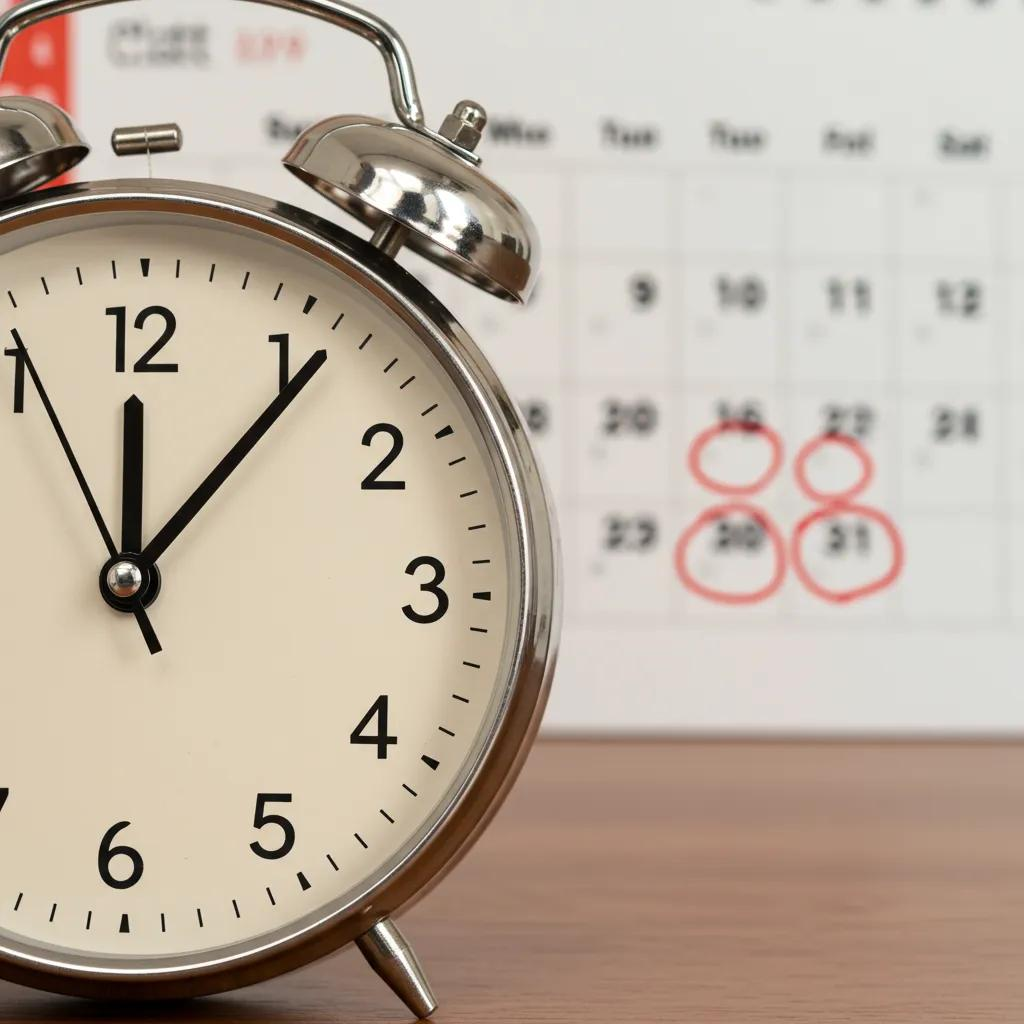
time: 12:06
